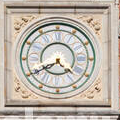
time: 4:40
